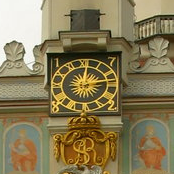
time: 12:13
